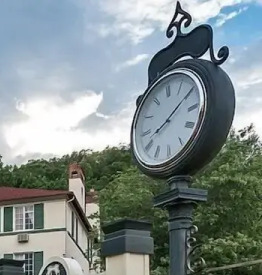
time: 8:09
